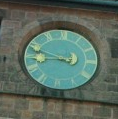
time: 8:48
